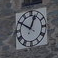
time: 12:50
